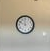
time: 11:49
